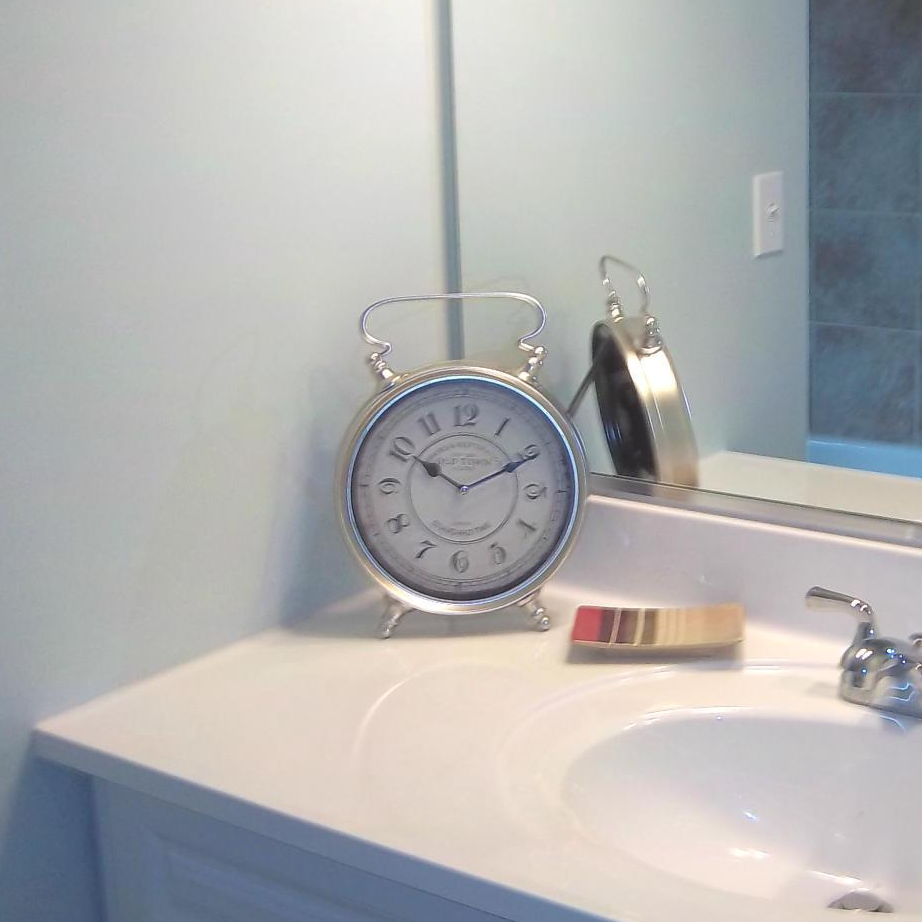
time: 10:10
